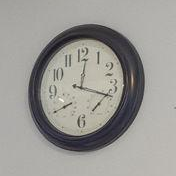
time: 12:17
